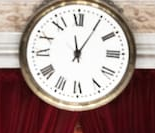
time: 12:05
